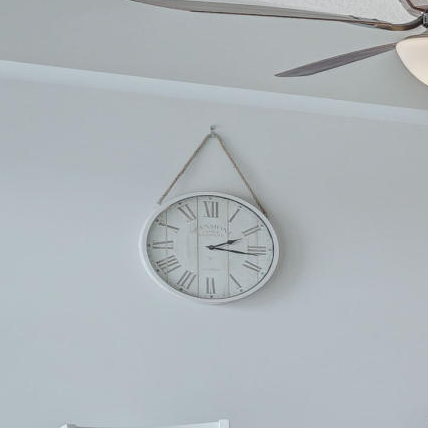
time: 2:16
